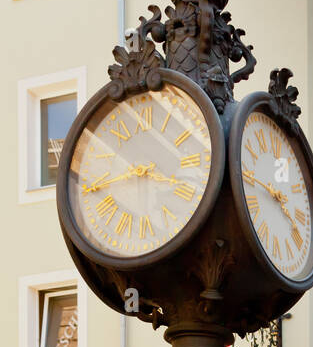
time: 3:43
